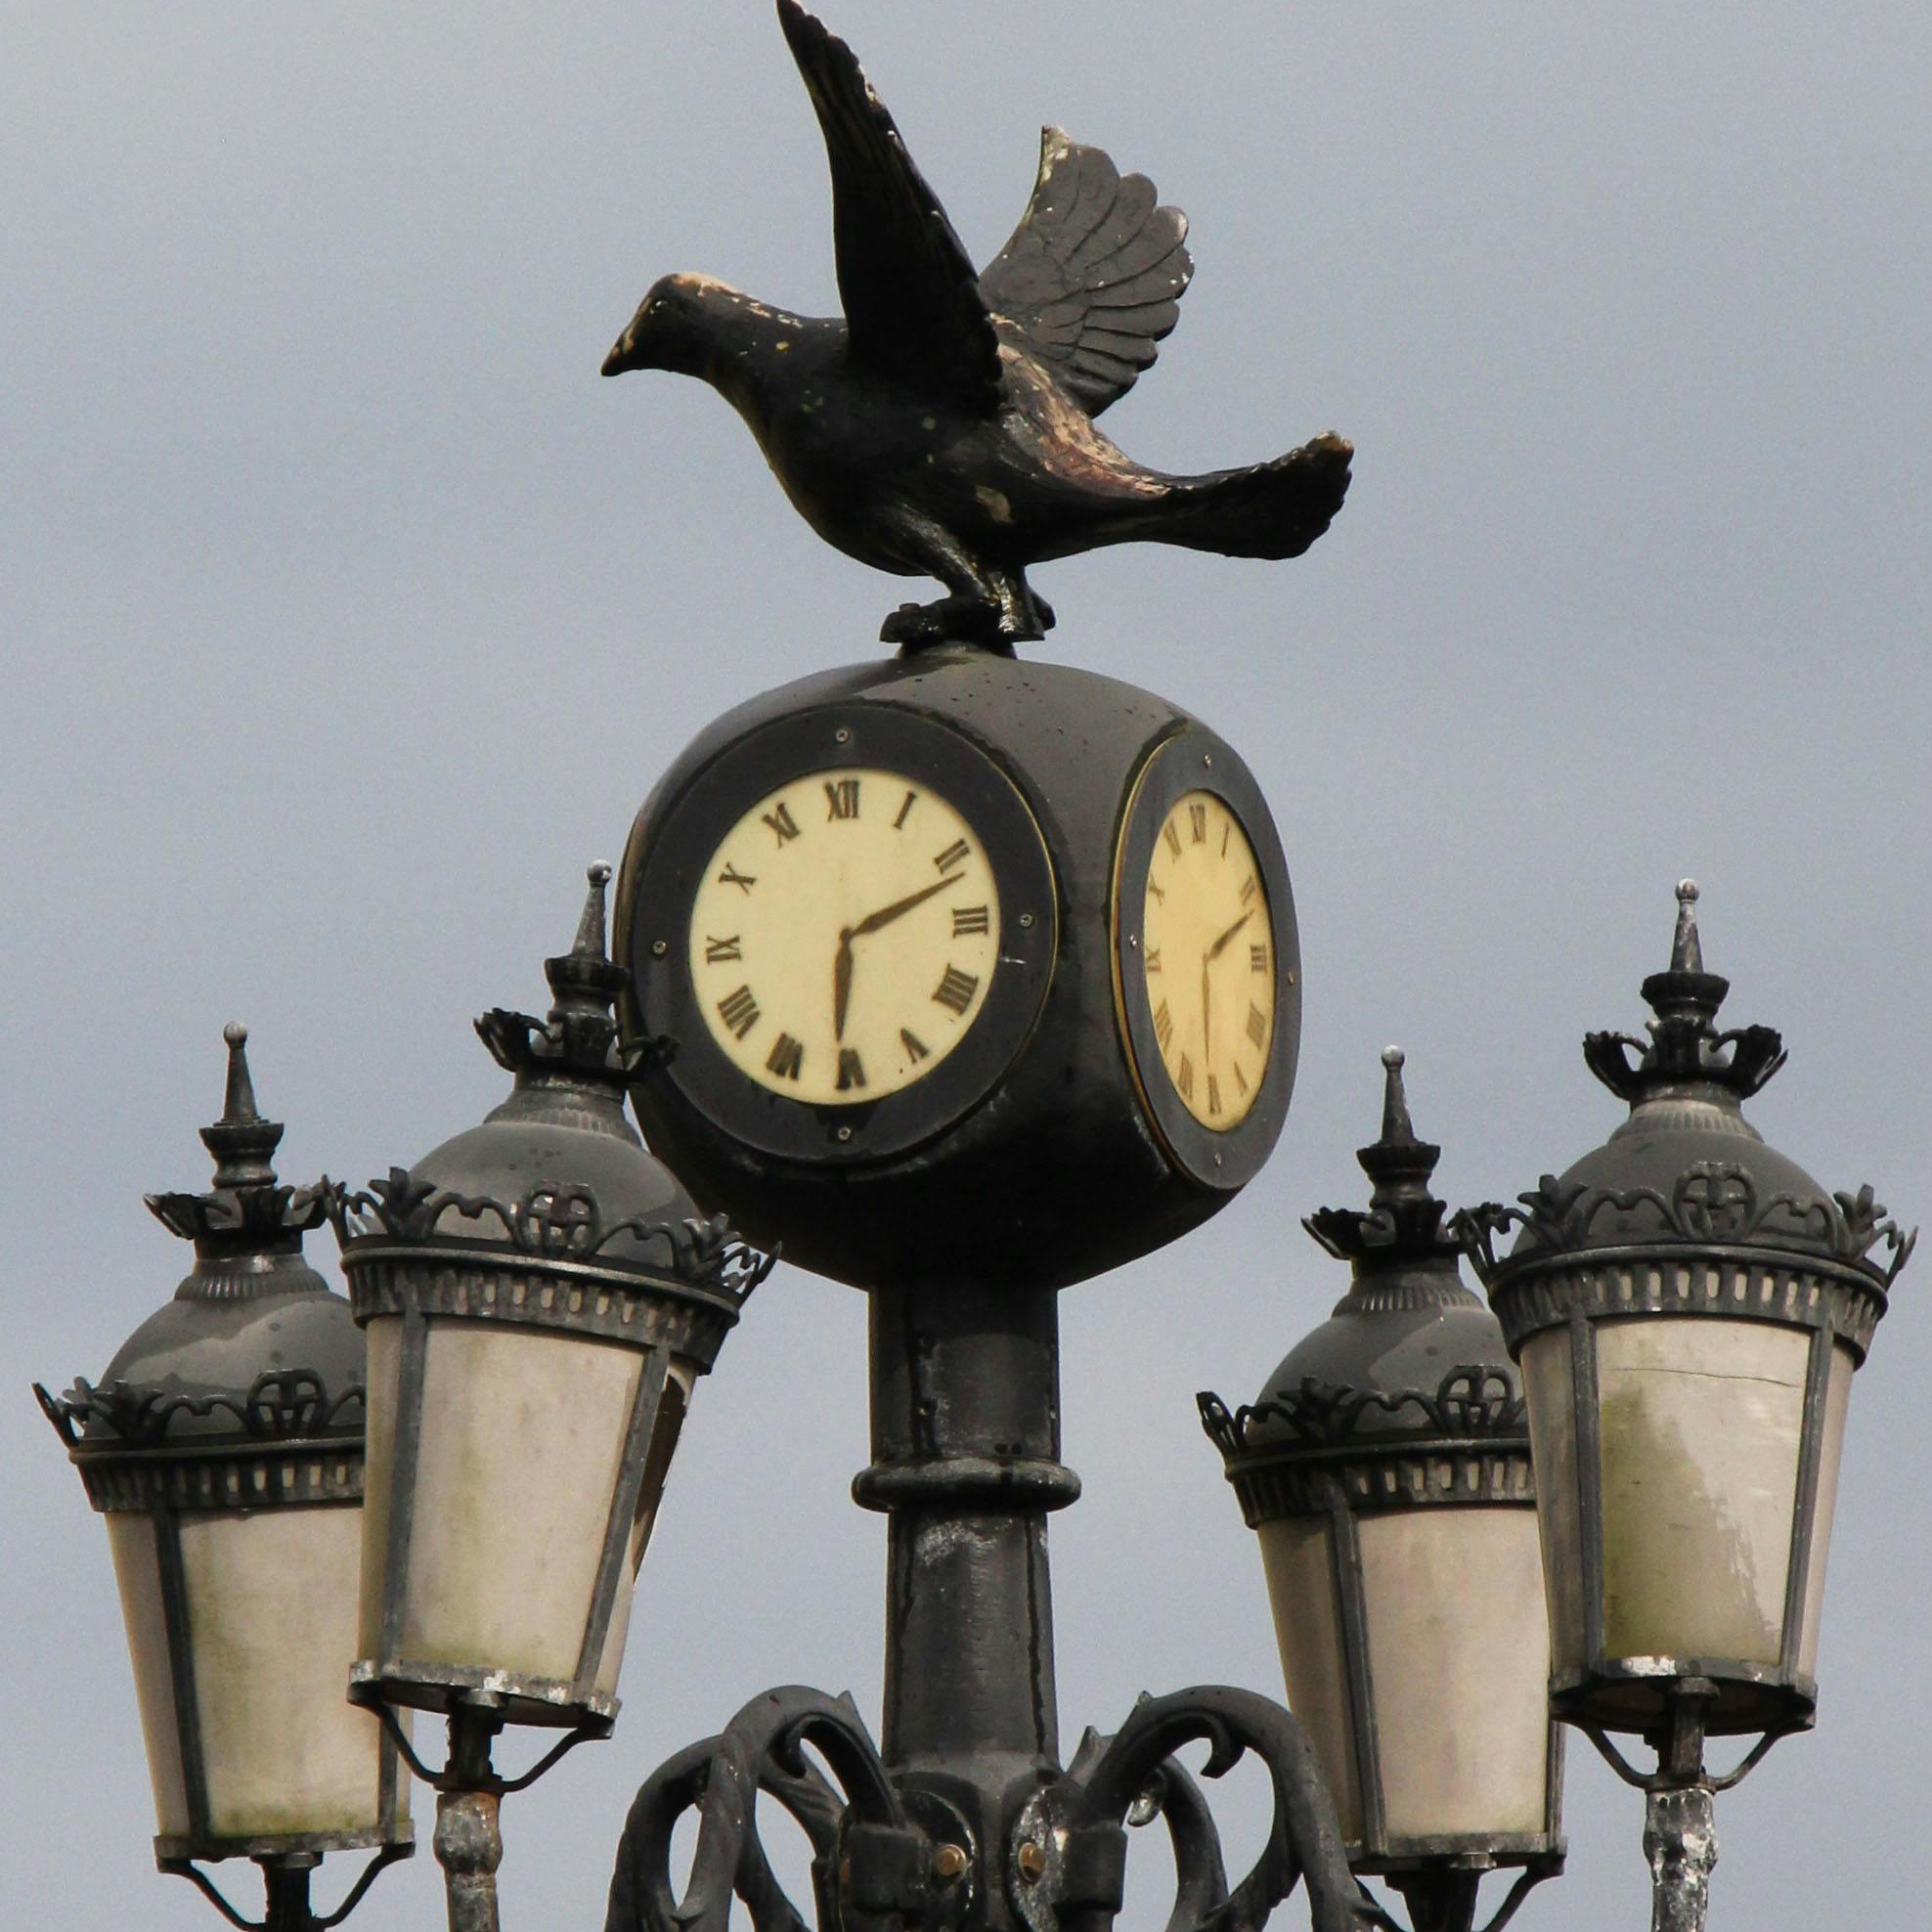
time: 6:11
